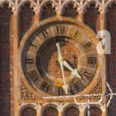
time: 4:28
